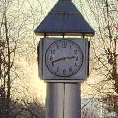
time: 2:42
